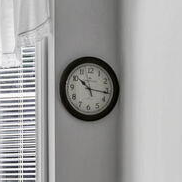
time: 10:16
